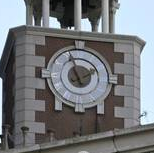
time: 1:56
